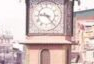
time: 9:23
